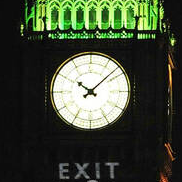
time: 10:07
